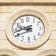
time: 9:42
